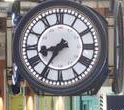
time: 8:35
